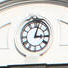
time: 3:02
